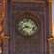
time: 8:17
